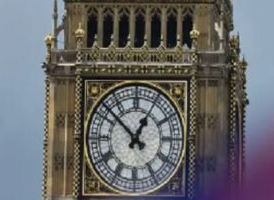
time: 12:52
